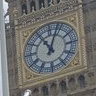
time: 11:03
